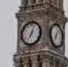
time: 7:03
